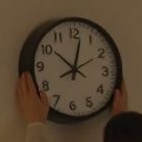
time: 10:01
